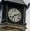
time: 7:12
